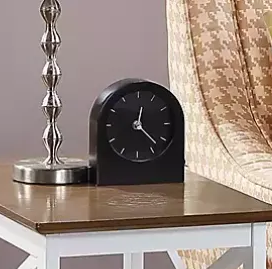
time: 12:22
